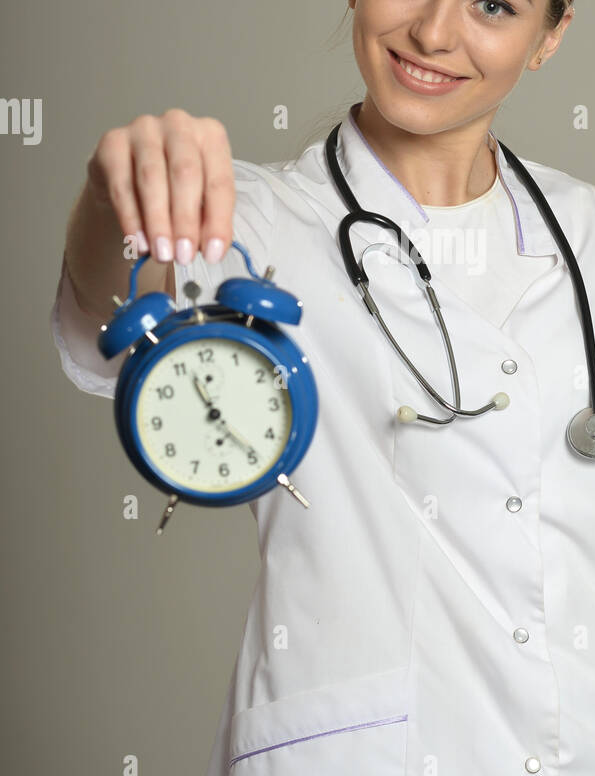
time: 11:24
